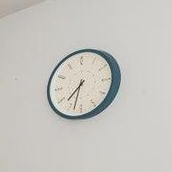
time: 7:32
